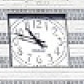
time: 10:48
